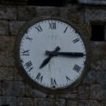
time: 7:15
